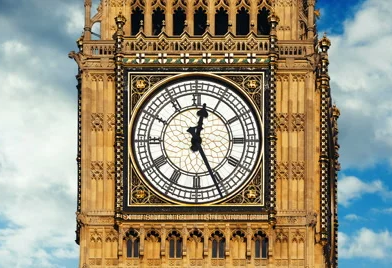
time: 12:25
